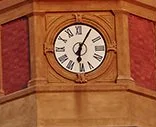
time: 6:05
